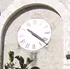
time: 10:21
